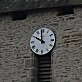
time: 9:58
